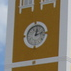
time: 12:12
